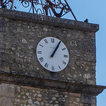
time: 1:05
